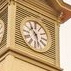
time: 10:28
